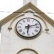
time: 6:12
